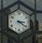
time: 3:21
